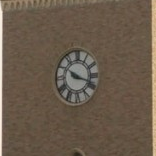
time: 10:18
